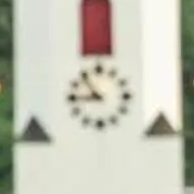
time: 10:45
